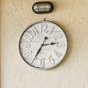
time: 2:35
